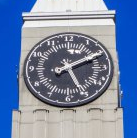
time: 5:10
